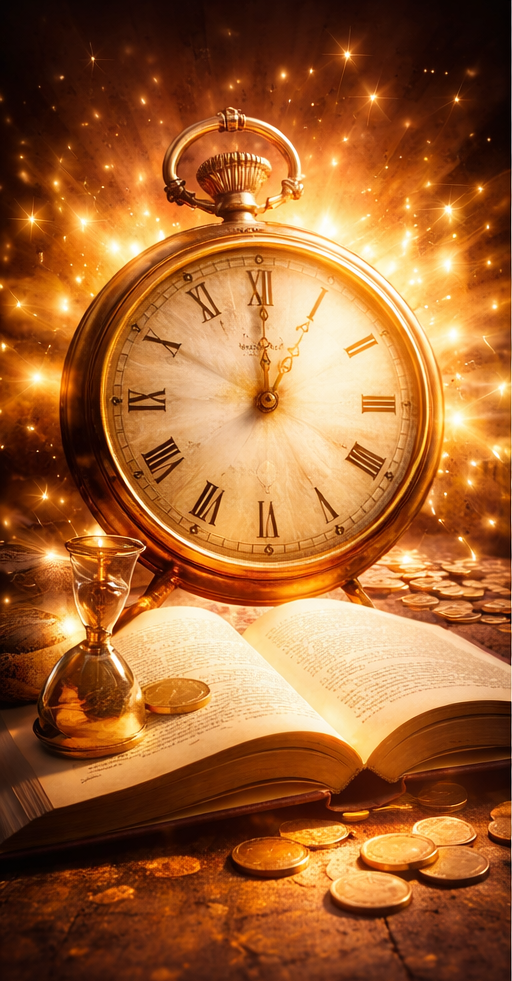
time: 1:00
